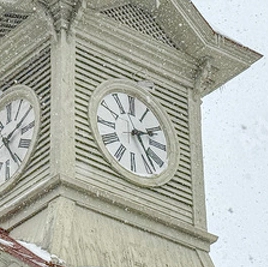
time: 2:23
